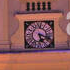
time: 5:18
